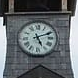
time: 5:11
